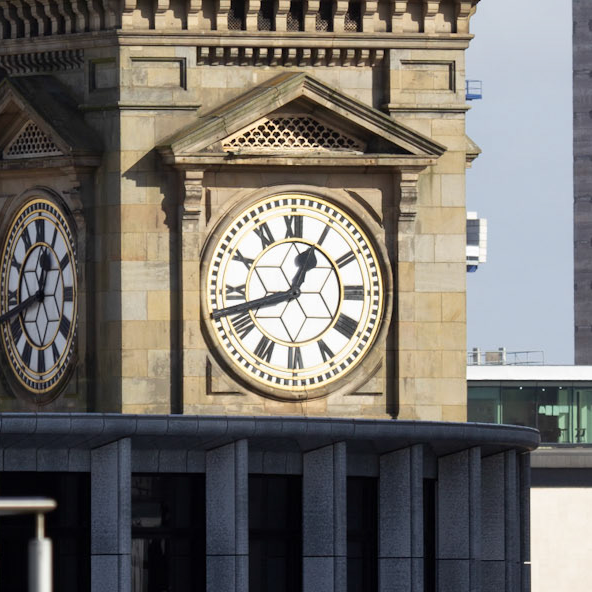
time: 12:42
